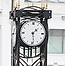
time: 1:28
